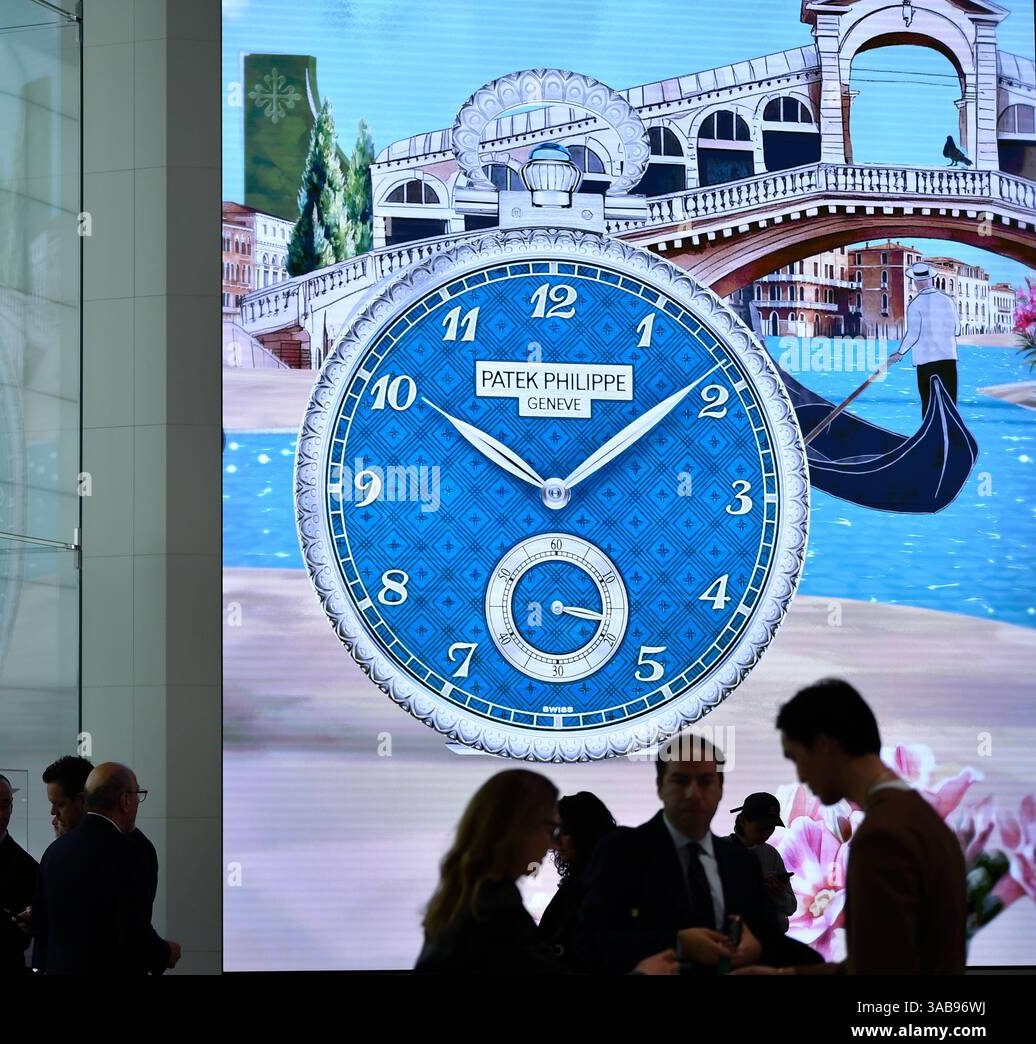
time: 10:08
